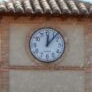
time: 12:06
